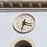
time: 3:32
